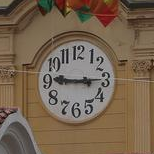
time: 9:15
